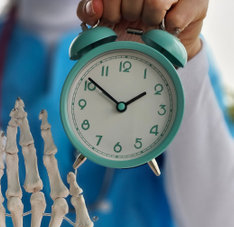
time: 1:51
